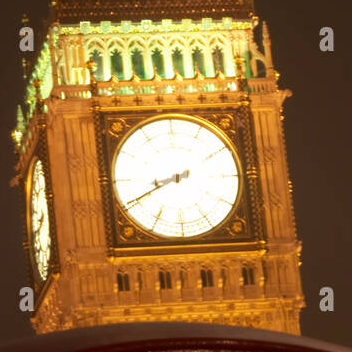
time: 8:40
